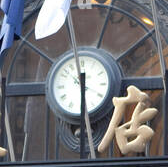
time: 11:29
